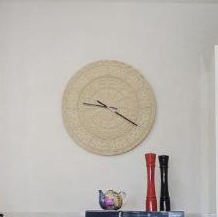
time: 9:20
